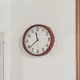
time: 11:38
